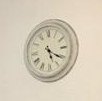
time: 5:20
